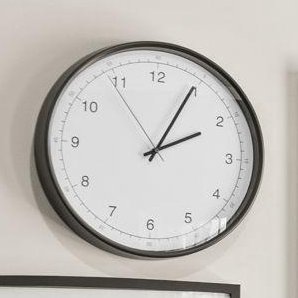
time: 2:04
